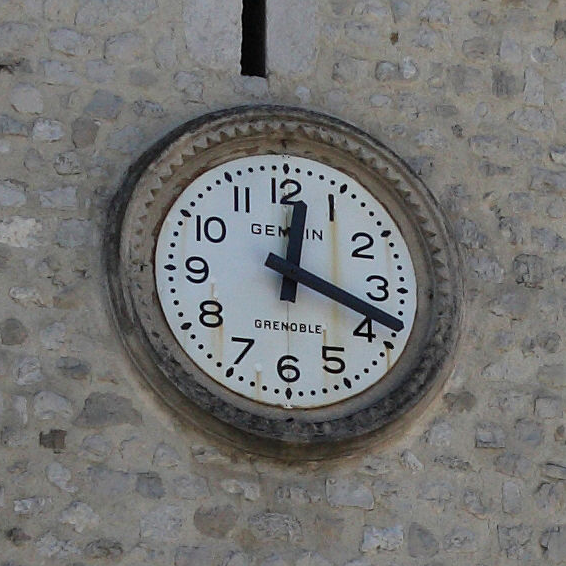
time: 12:18
